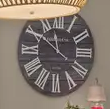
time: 11:50
